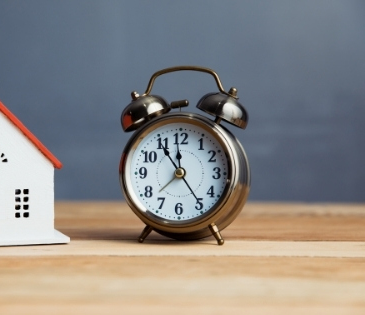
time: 11:54
